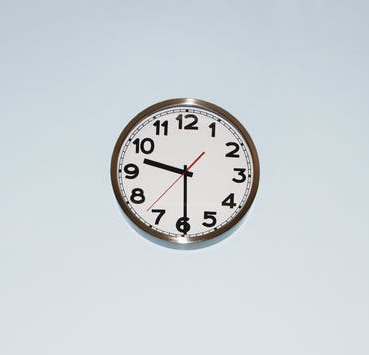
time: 9:29
